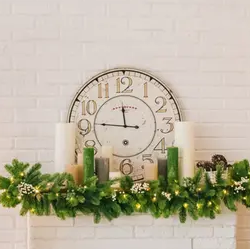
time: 11:46
